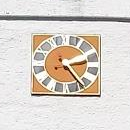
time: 2:24
